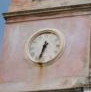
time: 6:32
